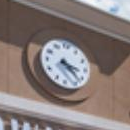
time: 3:22
